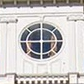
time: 5:59
